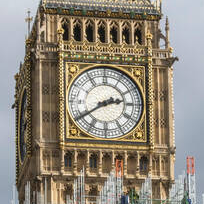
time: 2:39
